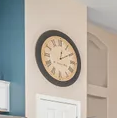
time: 12:09
